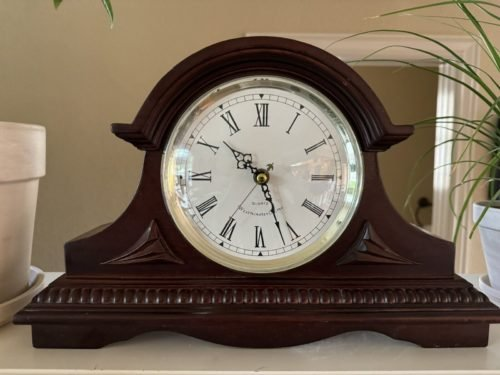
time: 10:26
